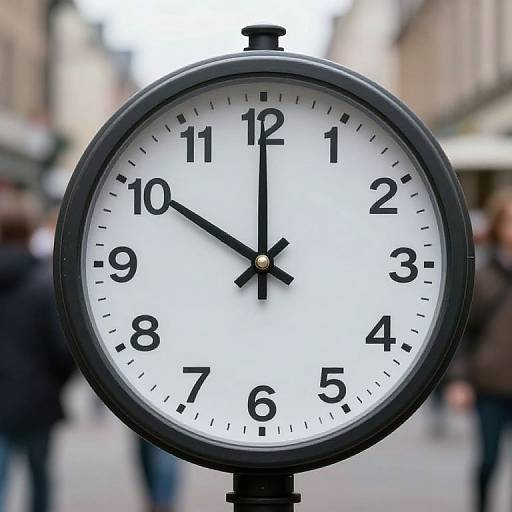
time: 10:00
